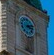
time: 4:12
